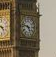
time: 4:47
